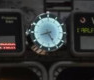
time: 8:25
